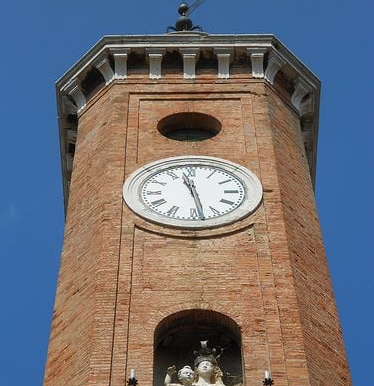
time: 11:28
